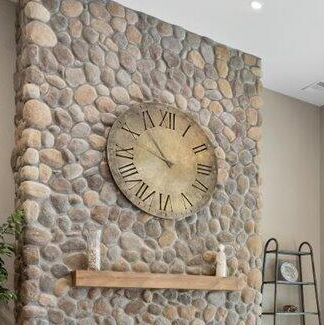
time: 9:53
